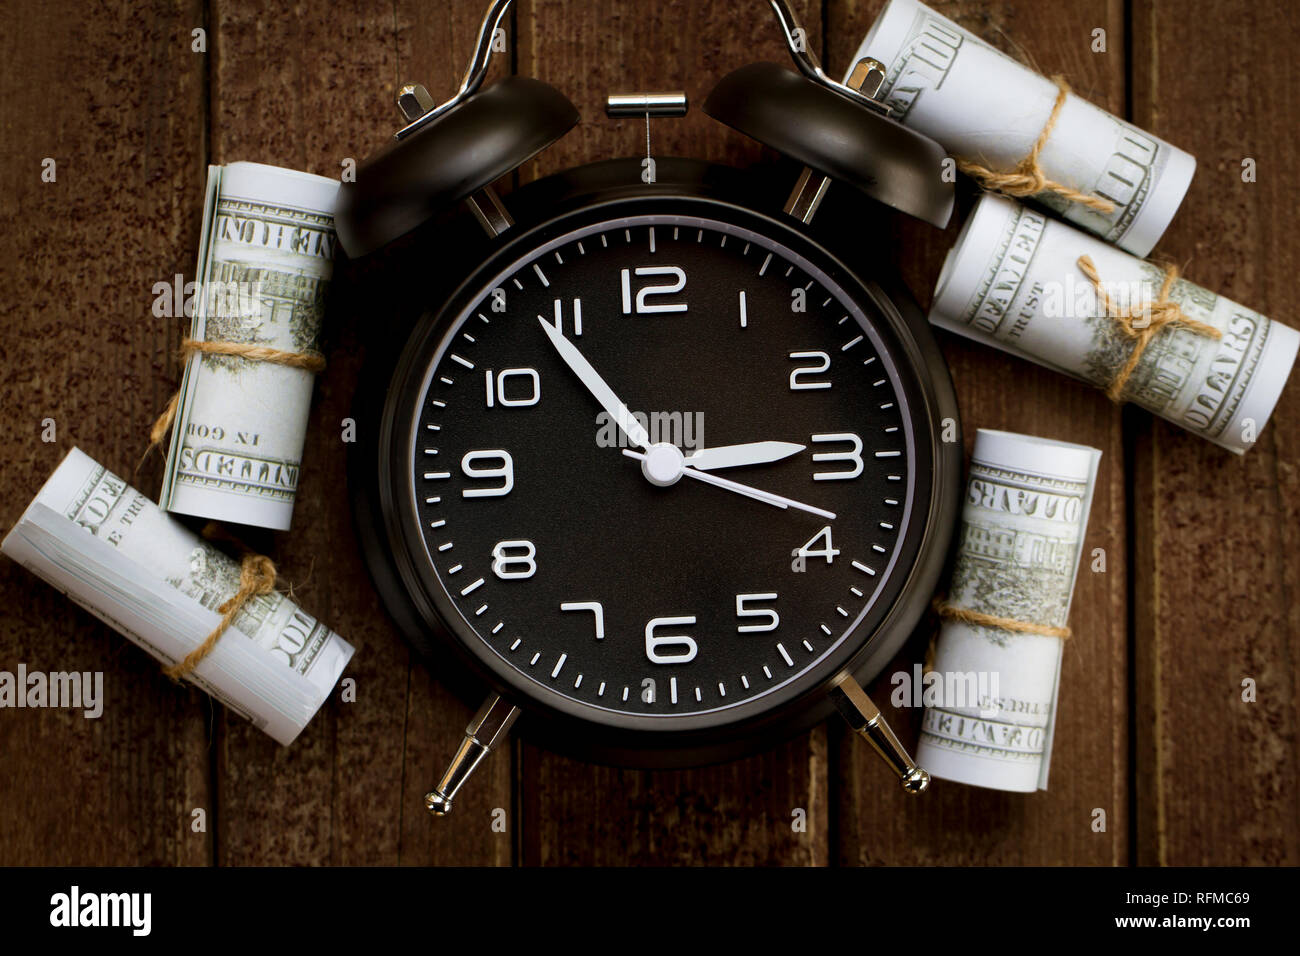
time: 2:54
